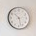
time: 10:27
